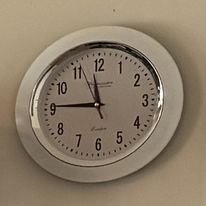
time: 11:45
